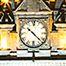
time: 10:22
